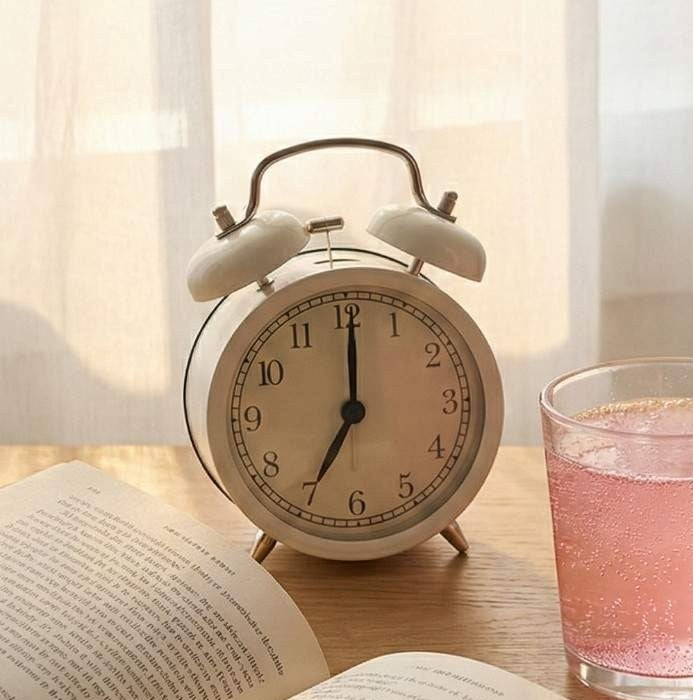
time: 7:00
